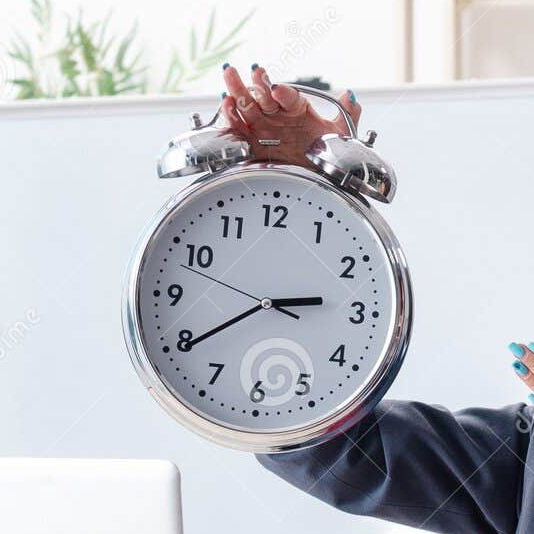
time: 2:39
